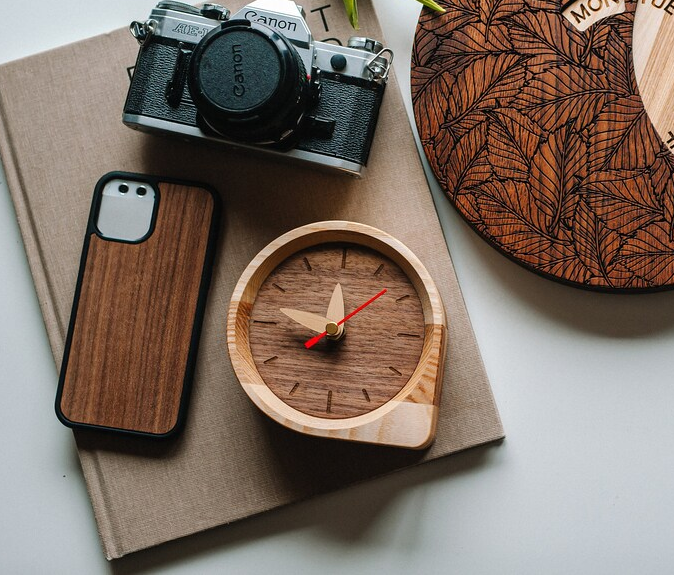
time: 11:46
